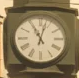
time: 11:02
